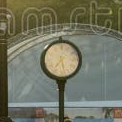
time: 5:36
